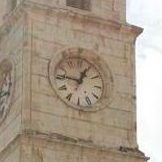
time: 12:46
